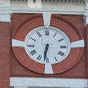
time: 6:31
